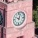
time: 10:02
